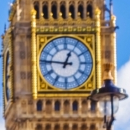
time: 12:46
